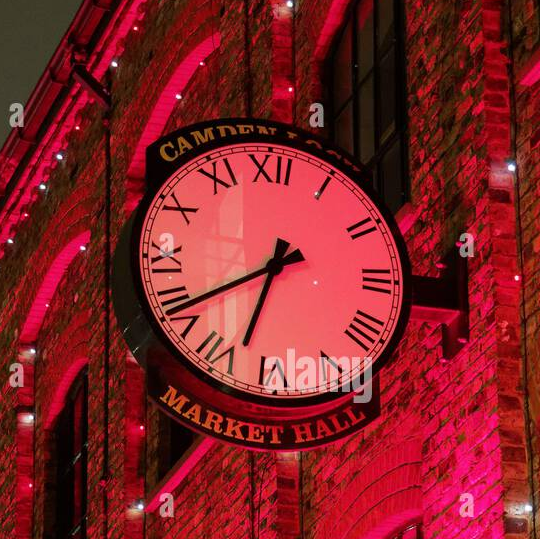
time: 6:39
